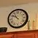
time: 10:51
